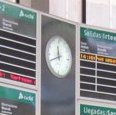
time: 11:41
